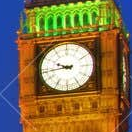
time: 9:43
